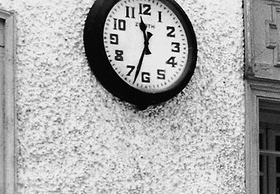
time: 11:32
